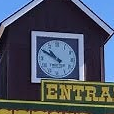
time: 10:50
